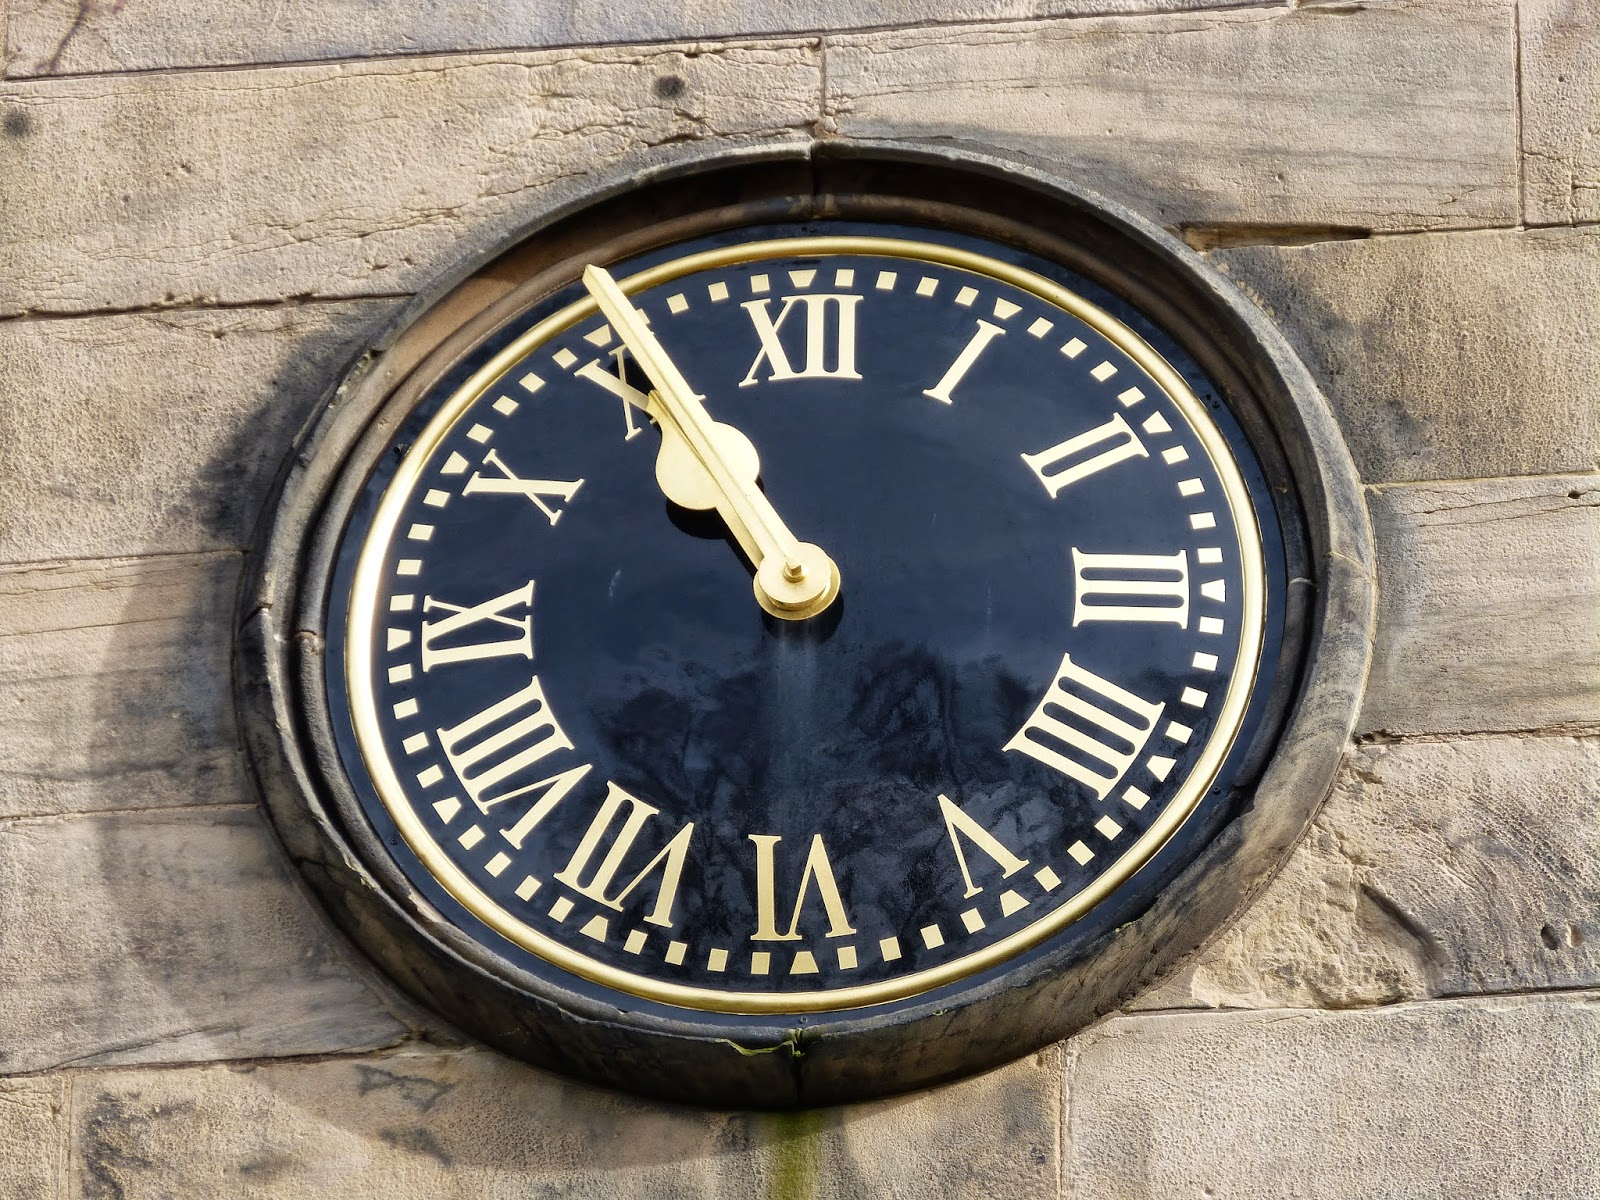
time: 10:55
